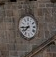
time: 7:43
